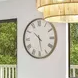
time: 10:28
